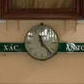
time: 11:23
